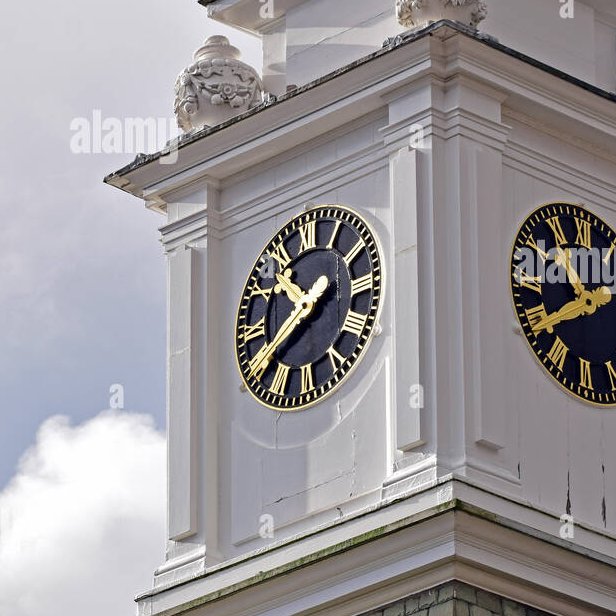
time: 10:40
